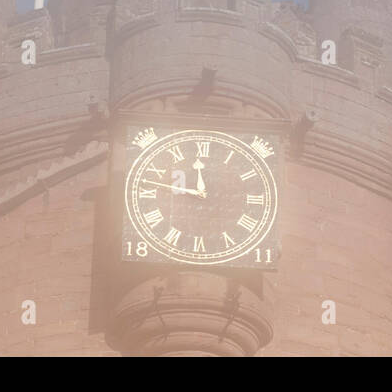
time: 11:47
